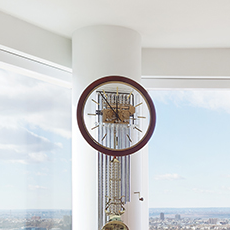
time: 11:53
